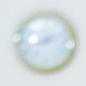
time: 8:12
